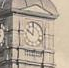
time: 10:00
